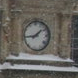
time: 1:43
